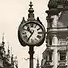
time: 10:36
